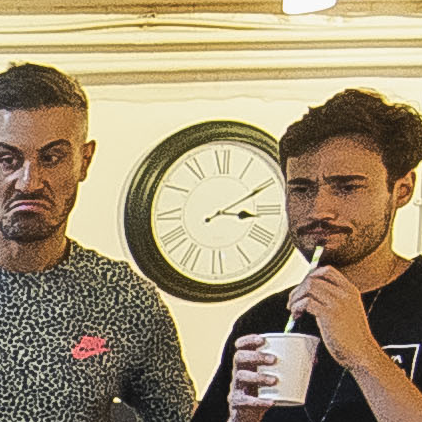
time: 3:10
